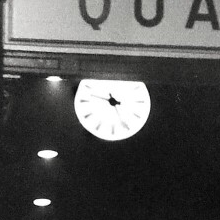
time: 3:47
